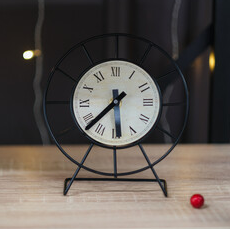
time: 5:37
